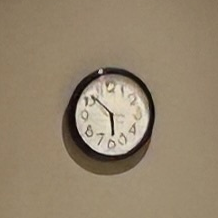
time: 5:52
